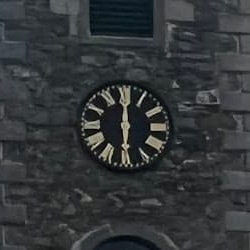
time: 6:00
